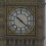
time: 10:21
